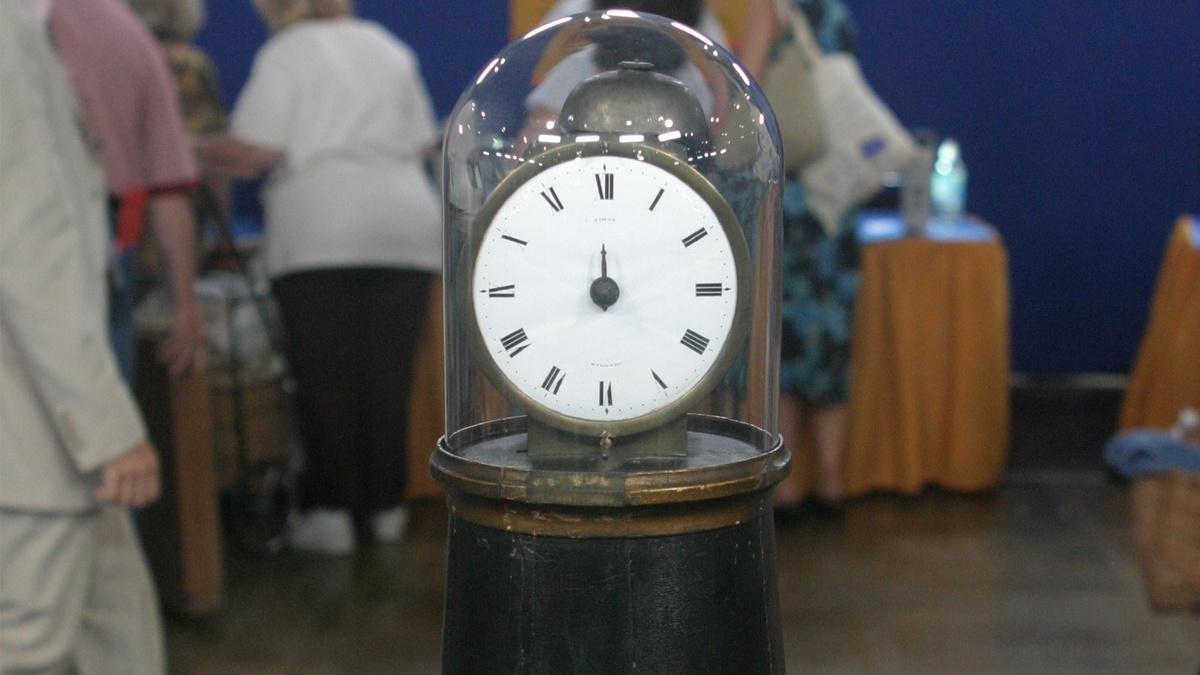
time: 11:41
